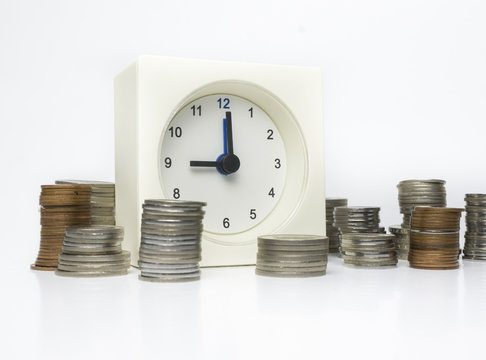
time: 9:00
